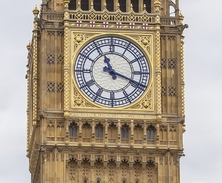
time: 11:18
